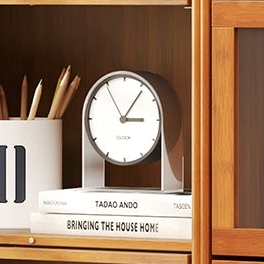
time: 3:05
